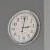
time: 3:02
